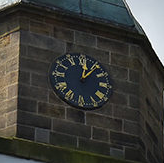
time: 12:06
